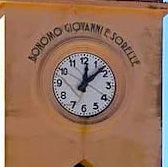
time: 12:07
